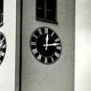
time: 12:13
